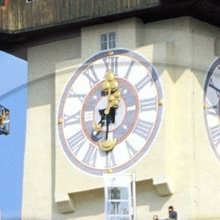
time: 7:31
